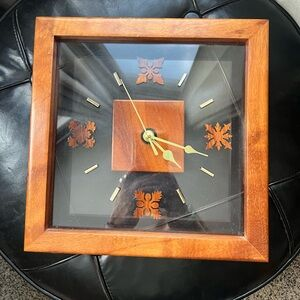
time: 4:17
